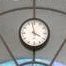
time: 3:58
